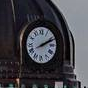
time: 2:11
